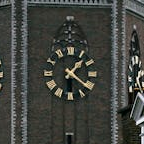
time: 1:21
